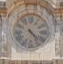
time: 4:22
